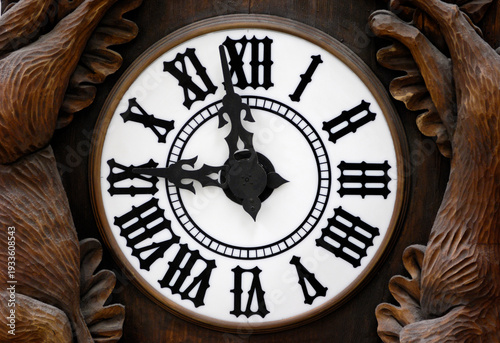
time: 11:45
